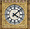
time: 4:08
